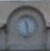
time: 11:28
